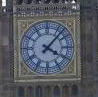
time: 4:07
